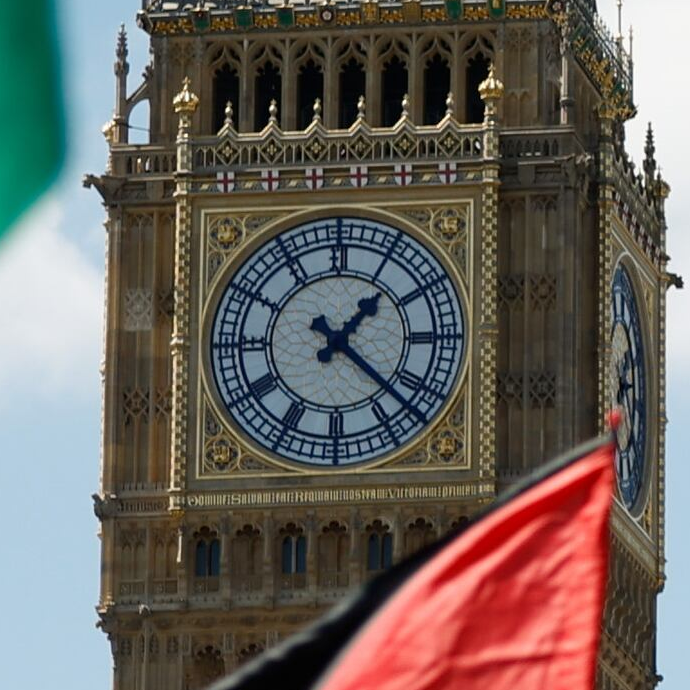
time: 1:22
